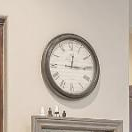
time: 12:15
